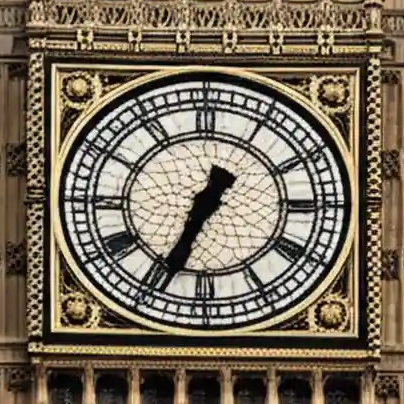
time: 6:34
